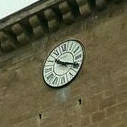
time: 10:19
